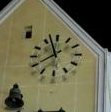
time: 7:57
